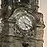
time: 5:18
